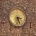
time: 3:27
